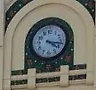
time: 4:16
